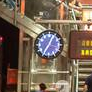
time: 7:04
